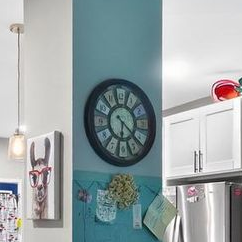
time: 6:22
